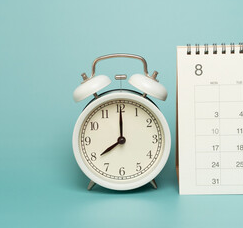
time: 8:00
